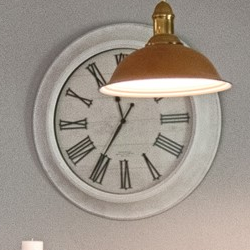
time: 11:35
